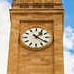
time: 1:20
